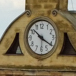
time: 10:20
